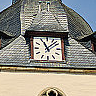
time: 11:07
